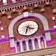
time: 3:31
